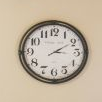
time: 3:09
